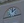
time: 12:07
